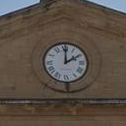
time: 2:00
